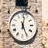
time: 5:01
